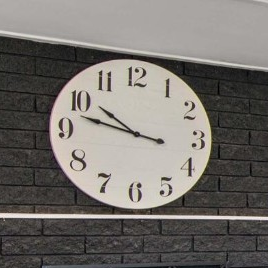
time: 9:47
